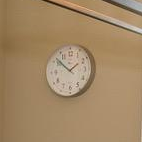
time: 1:51
